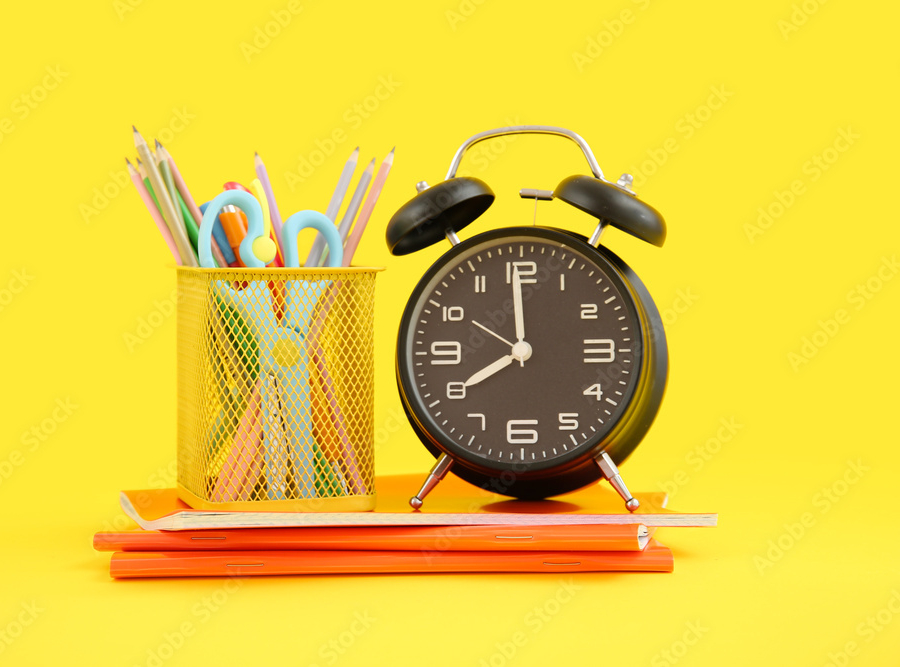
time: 7:59
